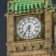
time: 5:35
